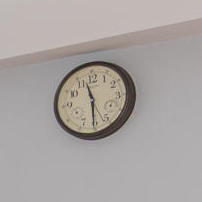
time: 11:30
